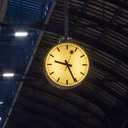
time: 9:25
